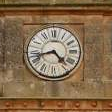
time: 4:42
